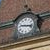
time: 9:17
